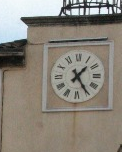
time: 1:24
